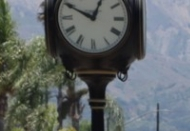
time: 12:49
